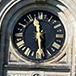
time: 11:28
